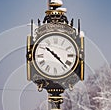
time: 10:22
